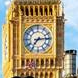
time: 7:14
